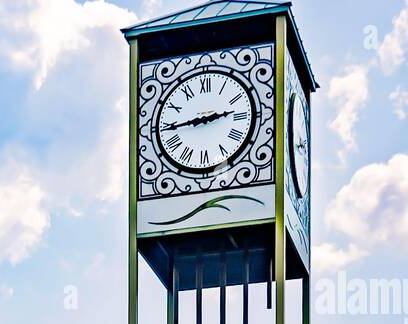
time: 2:44
